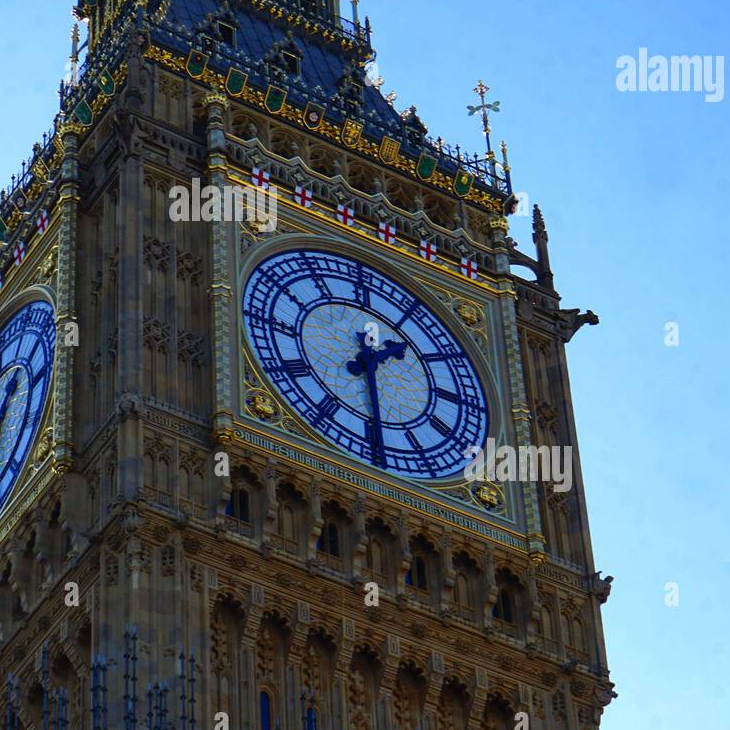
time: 1:29
